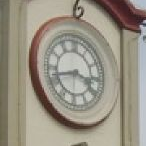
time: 3:42
